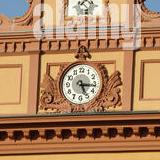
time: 5:16
